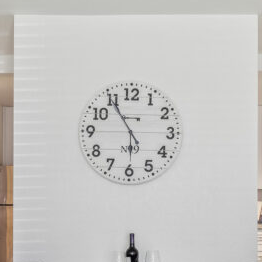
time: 5:54
